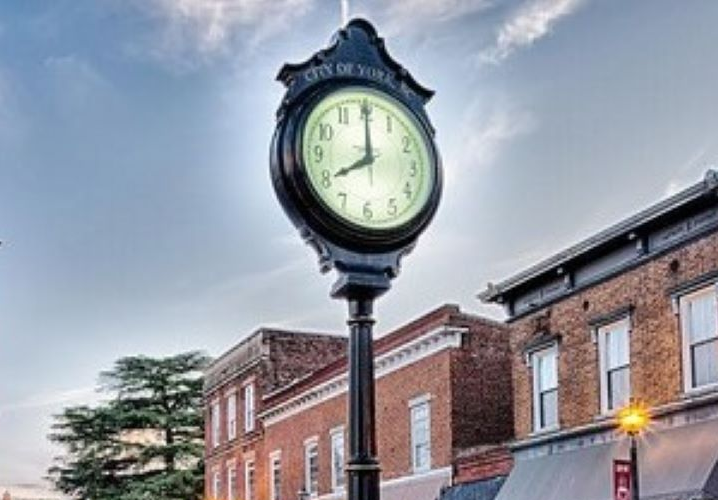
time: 8:00
